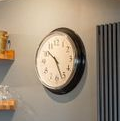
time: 10:26
